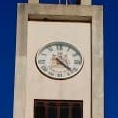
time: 4:22
